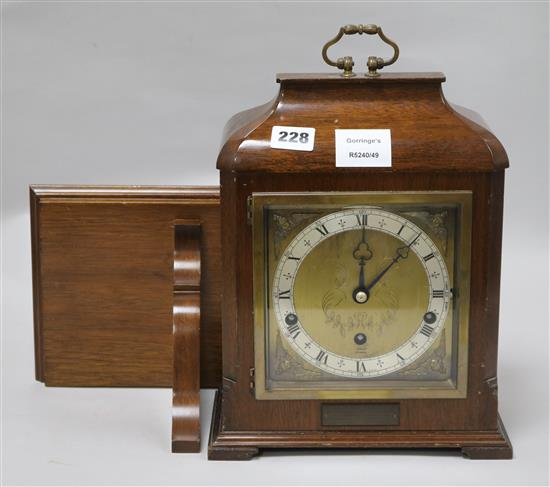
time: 12:07
